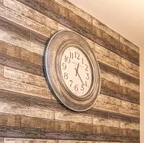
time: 12:23
